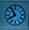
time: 7:54
